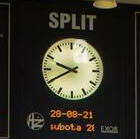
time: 9:40
